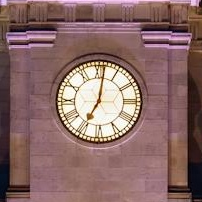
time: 7:01
